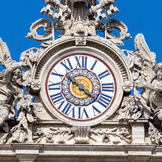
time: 10:21
